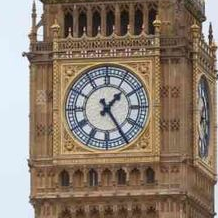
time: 1:24
